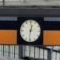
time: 12:31
